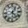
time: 1:22
